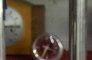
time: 3:34
